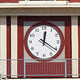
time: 12:20
